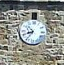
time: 8:36
